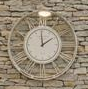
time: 2:00
